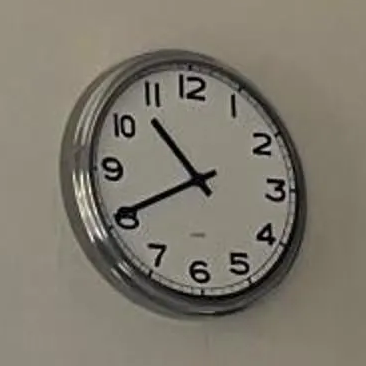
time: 10:40
